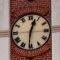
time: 12:30
